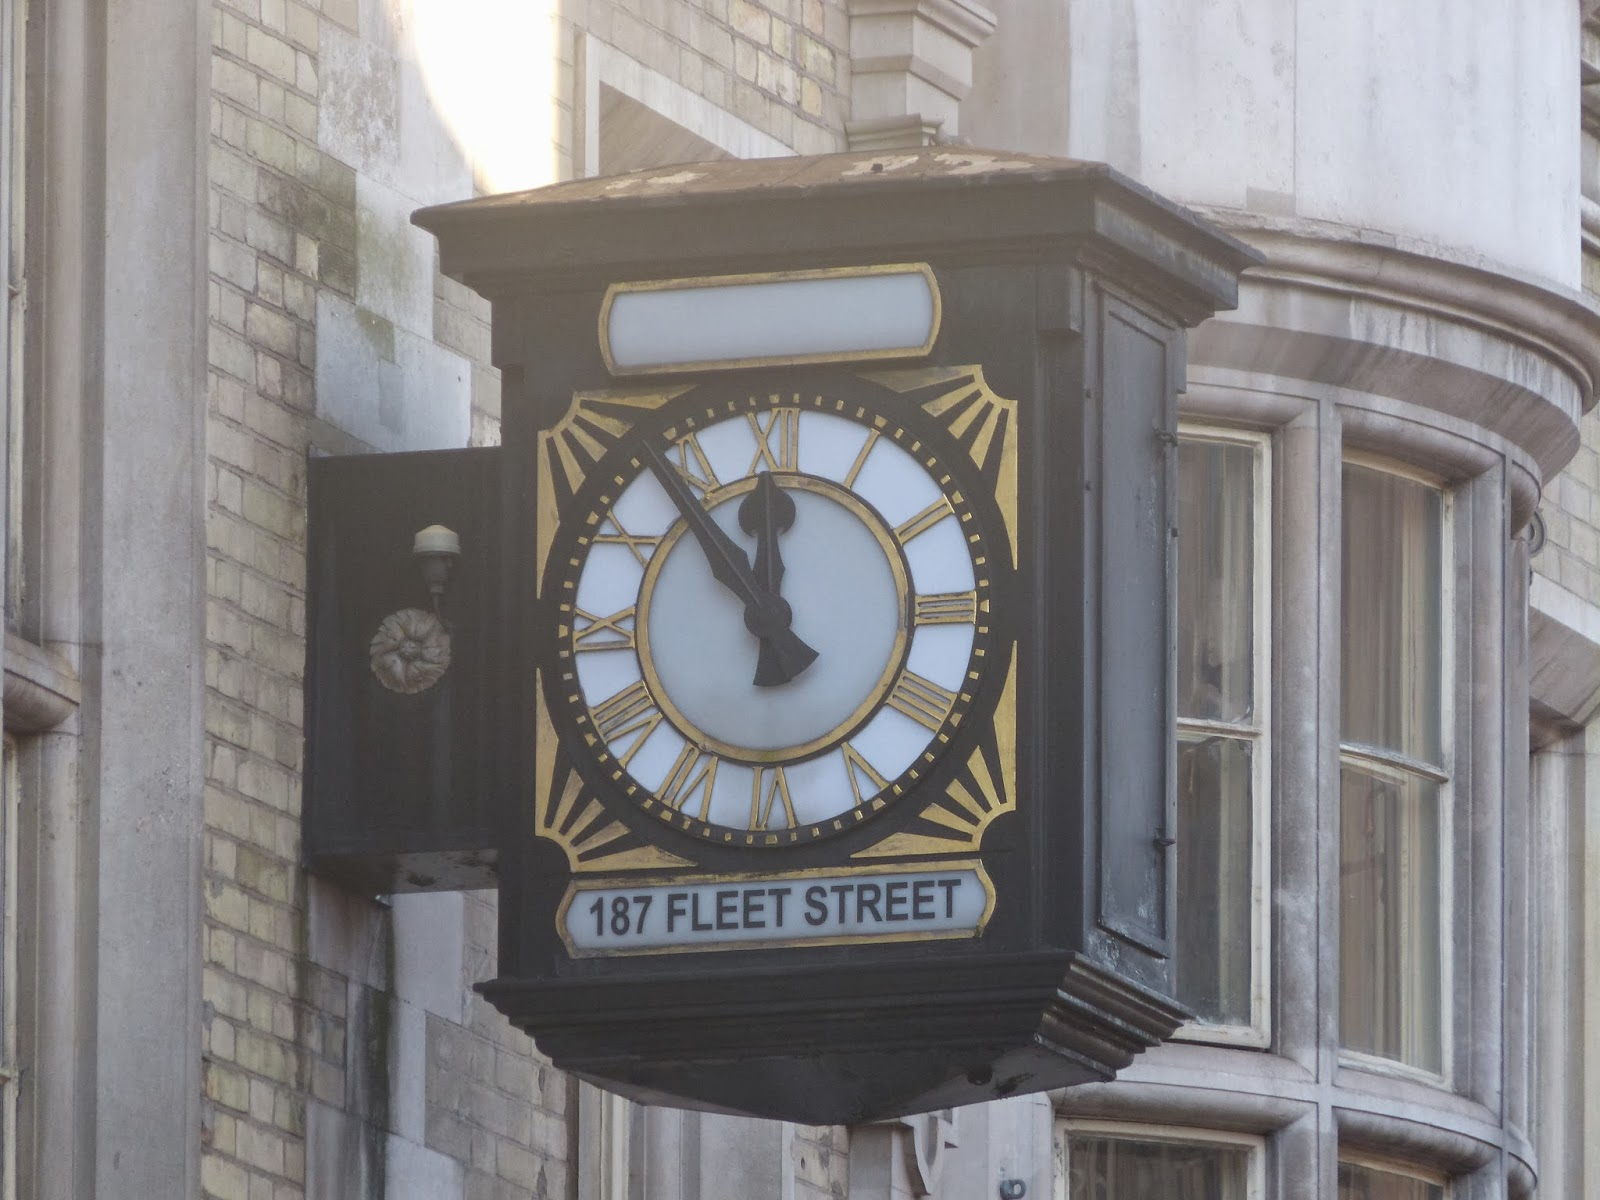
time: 11:53
